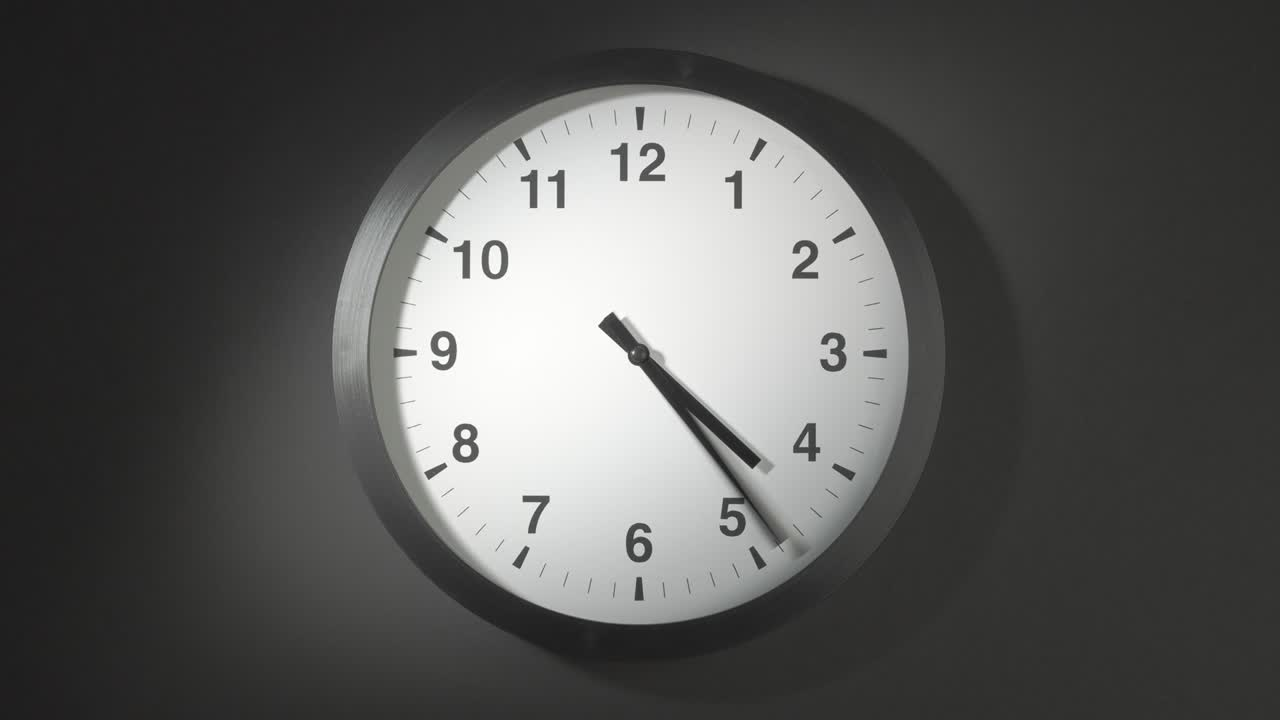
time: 4:22
